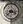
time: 3:37
